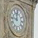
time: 11:46
